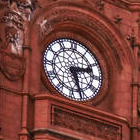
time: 2:26
